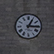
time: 3:04
